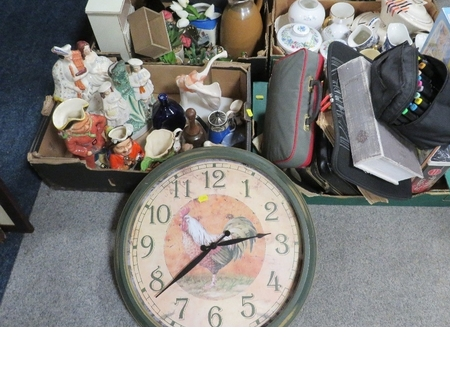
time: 2:38
